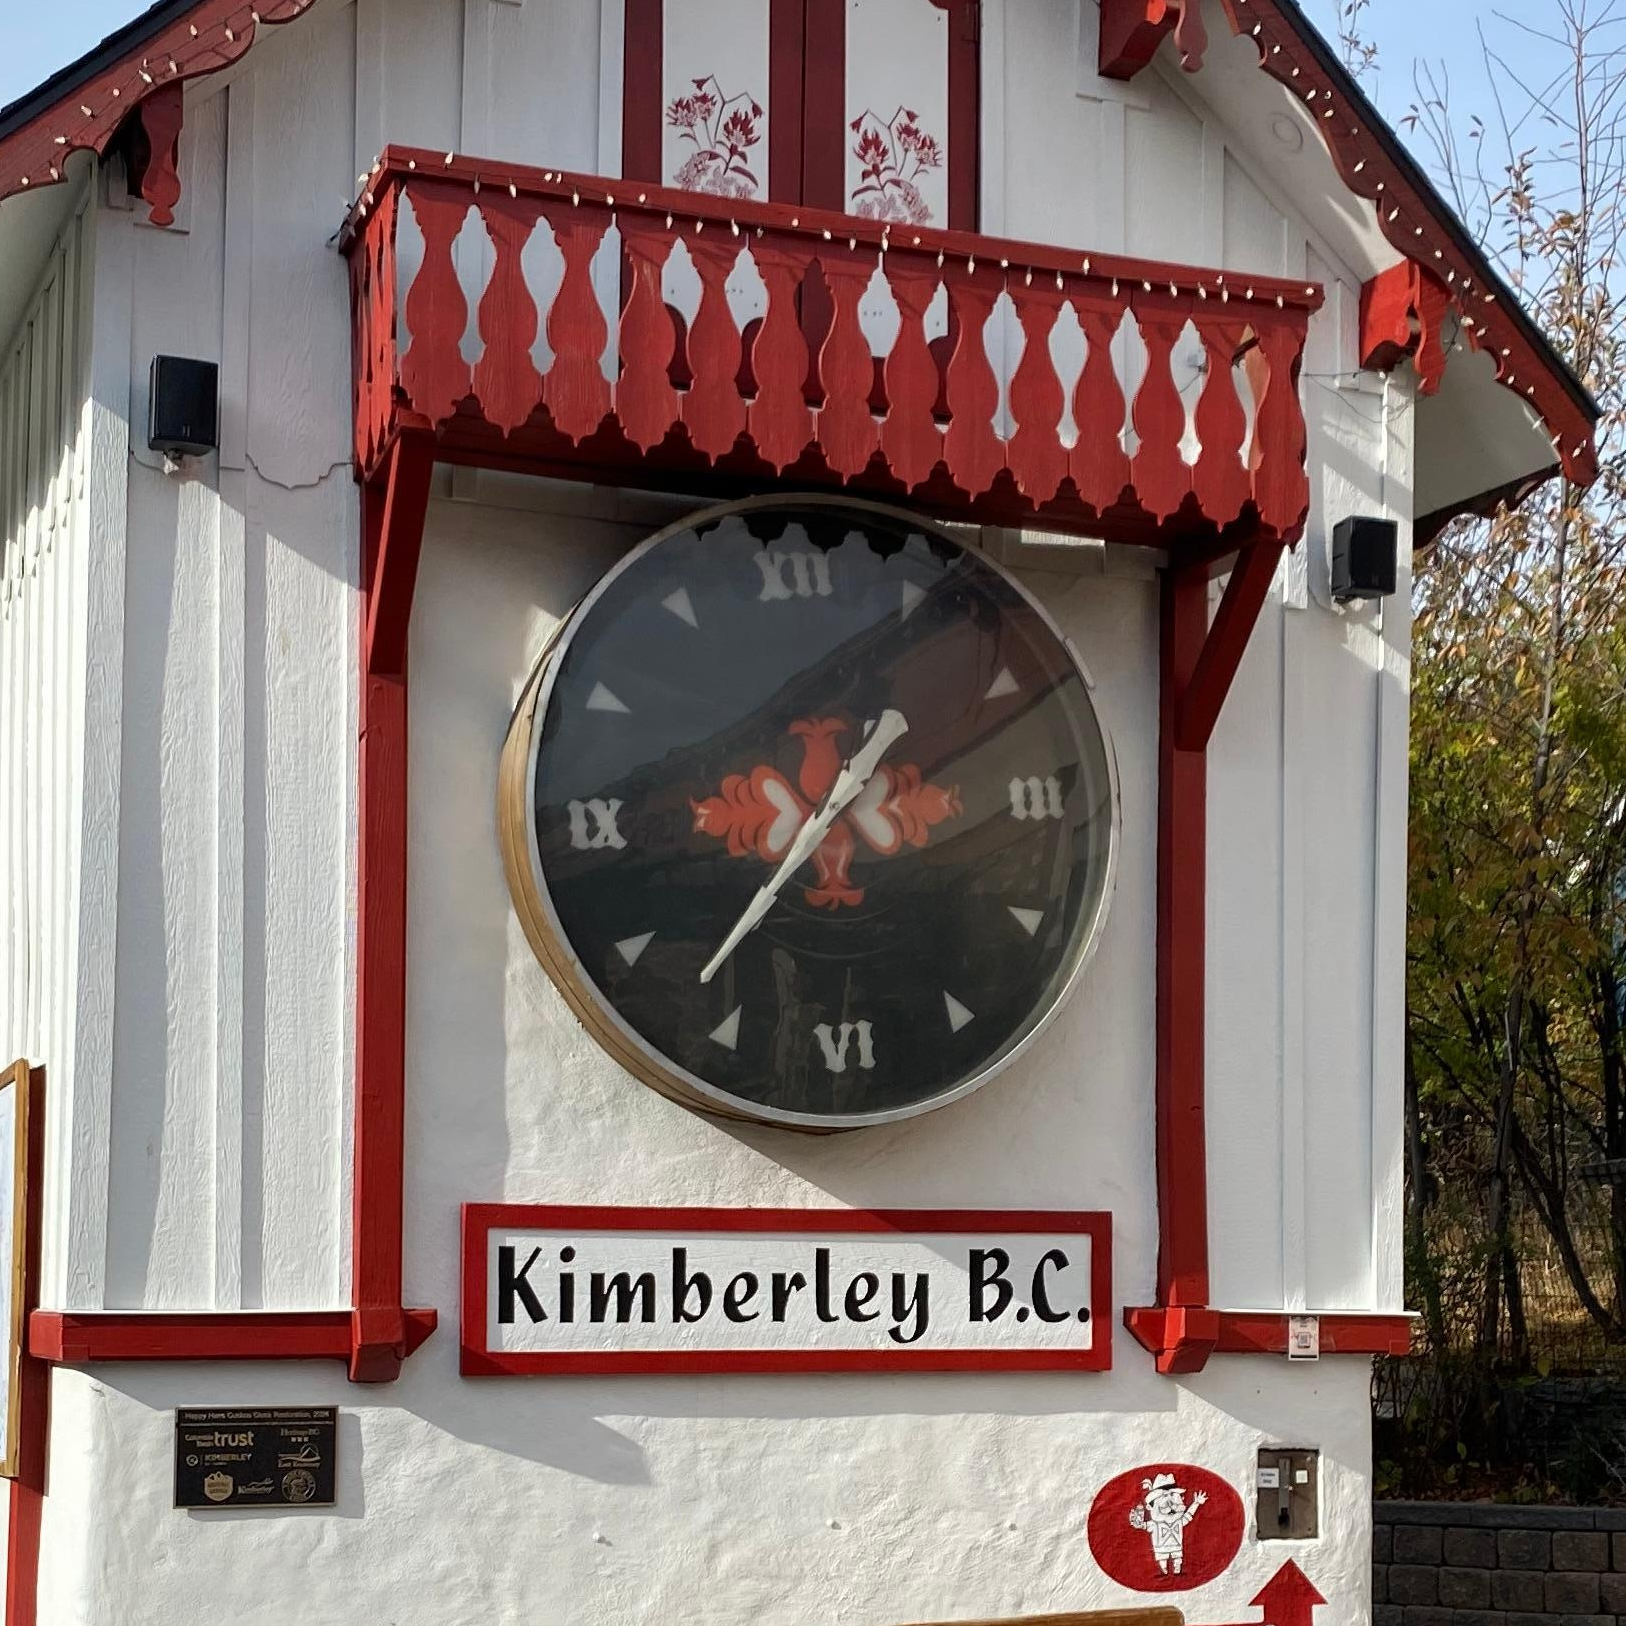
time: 1:37
